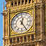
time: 12:24
